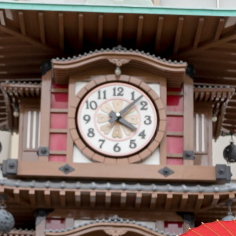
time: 4:07
